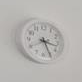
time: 3:25
